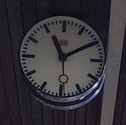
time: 11:09
